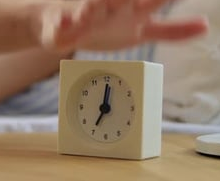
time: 7:01
